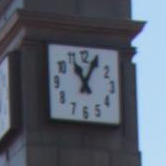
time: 11:04
